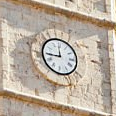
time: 11:44
